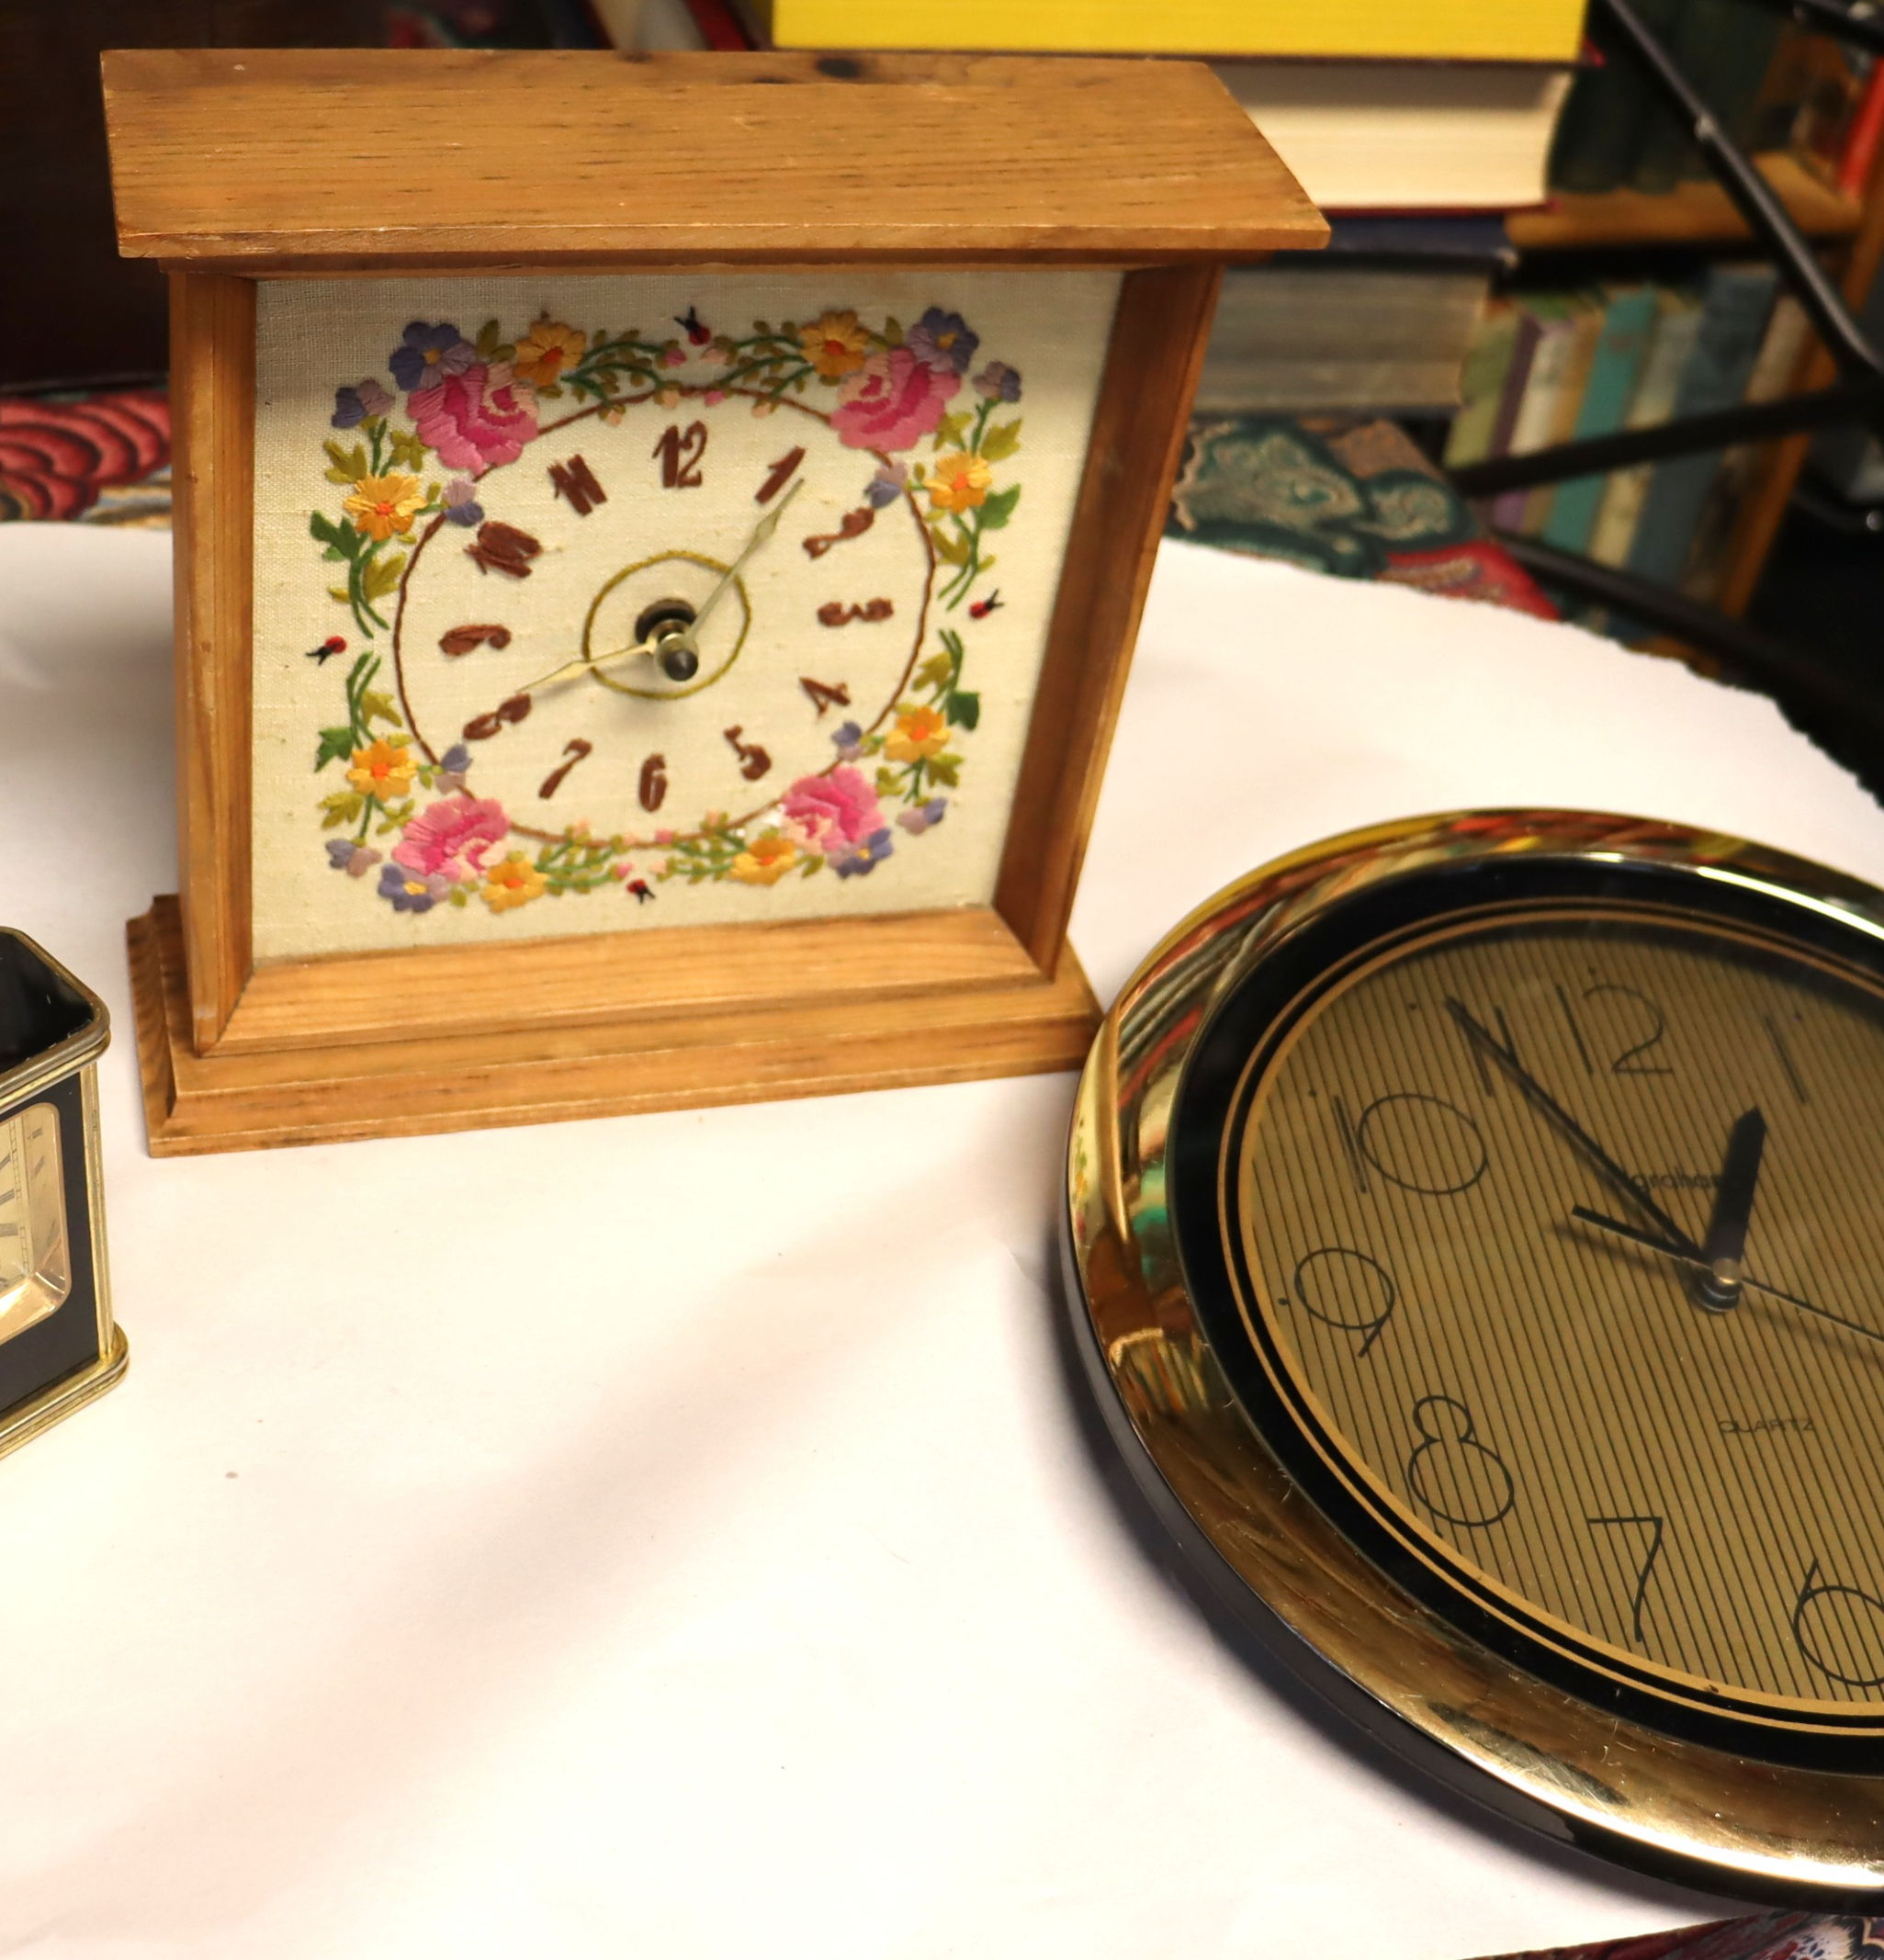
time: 12:54
